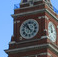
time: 10:52
